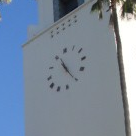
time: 10:20
